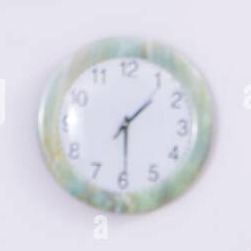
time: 1:29
